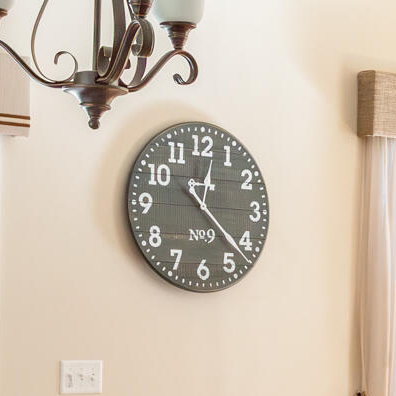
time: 12:22
